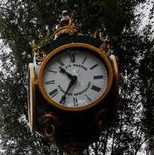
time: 10:35
